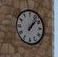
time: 1:07
